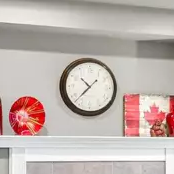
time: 10:37
